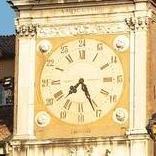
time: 7:25
